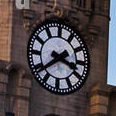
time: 3:38
